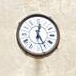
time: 12:24
